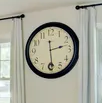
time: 2:29
